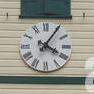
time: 4:05
